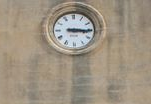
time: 3:15
